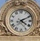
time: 4:10
